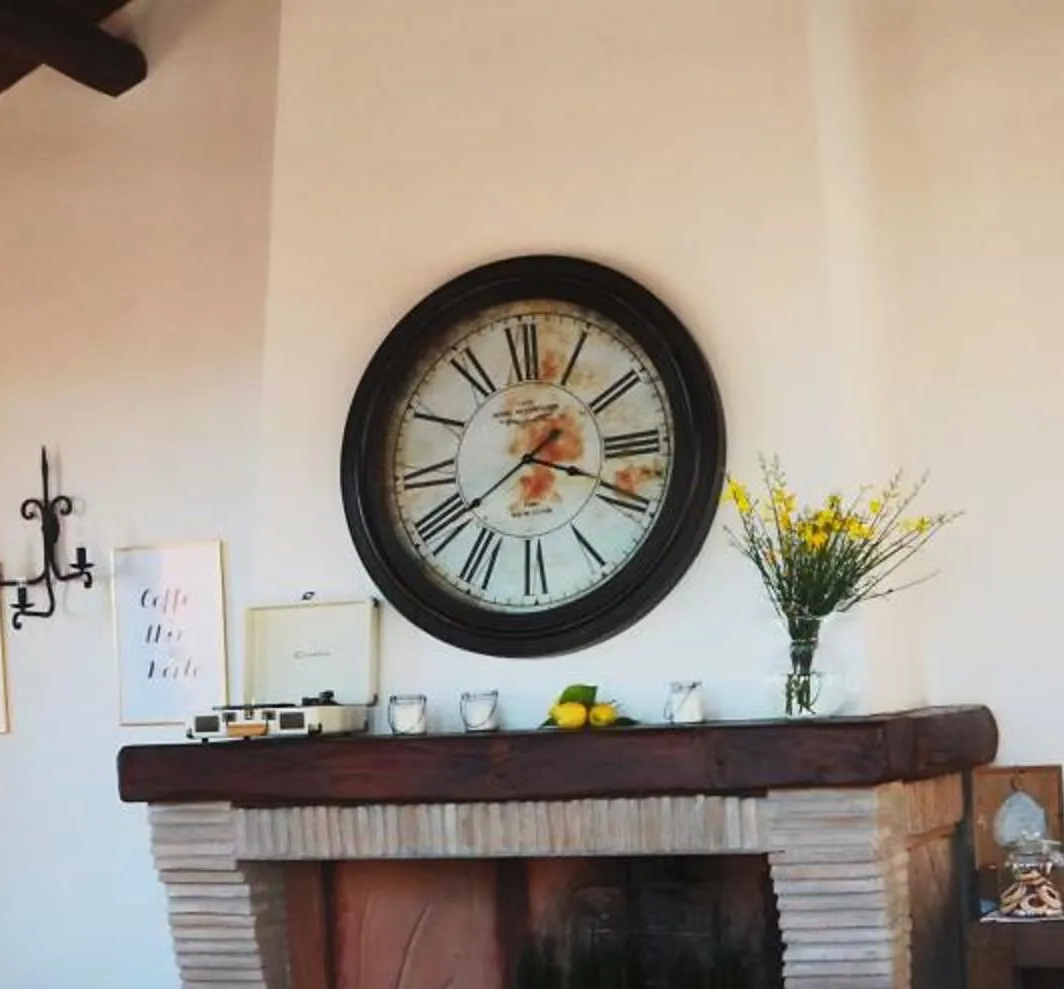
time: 3:39
